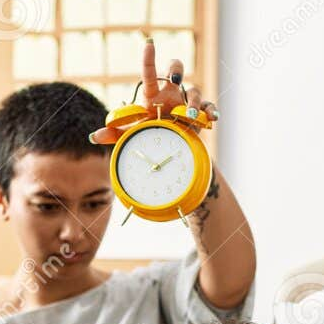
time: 1:51
